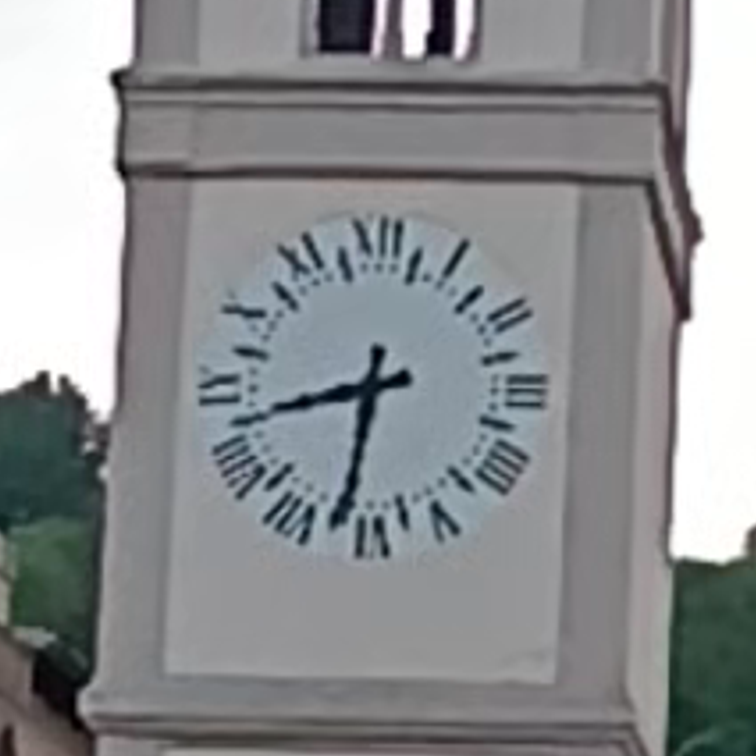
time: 8:32
